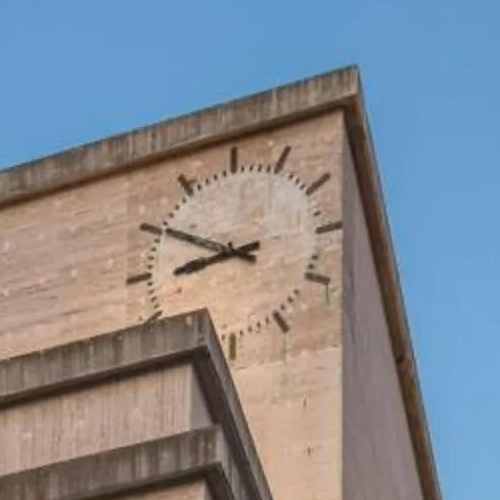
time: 8:50
